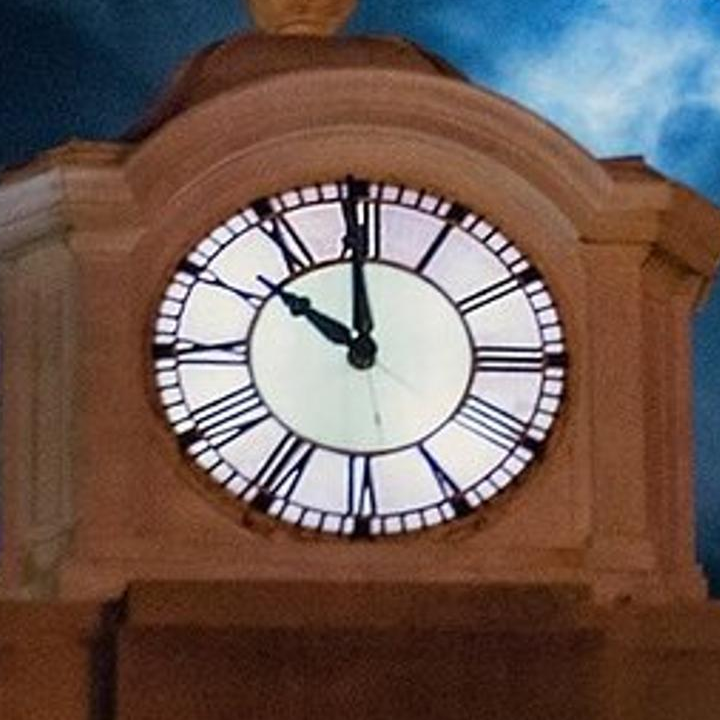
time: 9:59
